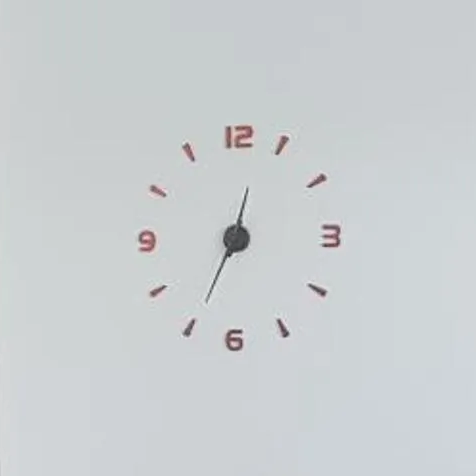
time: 12:34
